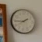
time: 1:45
